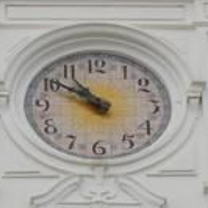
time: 10:50
